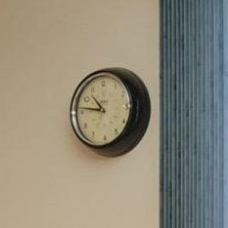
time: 10:46
